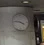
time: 3:46
